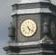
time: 5:21
